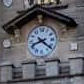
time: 8:21
